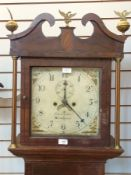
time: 12:22
